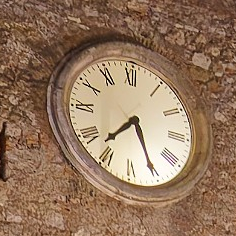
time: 7:25
